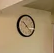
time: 10:22
